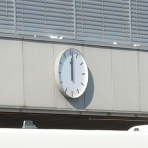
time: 12:01
